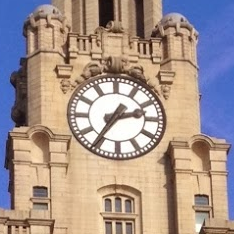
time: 2:36
